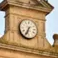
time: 6:34
